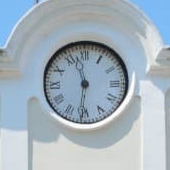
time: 11:31
